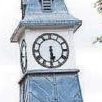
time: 5:30
